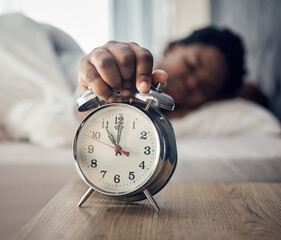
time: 11:00
